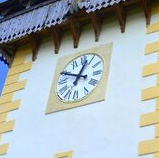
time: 12:49
